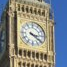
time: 3:21
